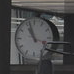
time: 10:56
